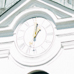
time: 1:01
